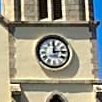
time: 12:13
